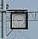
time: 2:45
